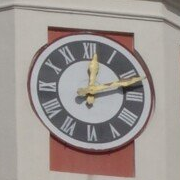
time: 12:12
